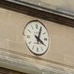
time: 4:03
